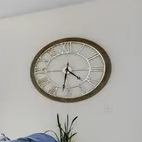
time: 4:31
